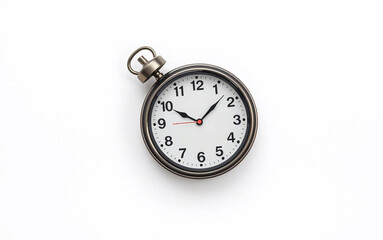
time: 10:07
